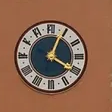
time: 4:04
